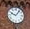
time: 10:07
